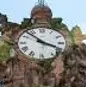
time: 3:52
